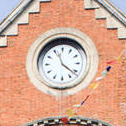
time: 11:21
